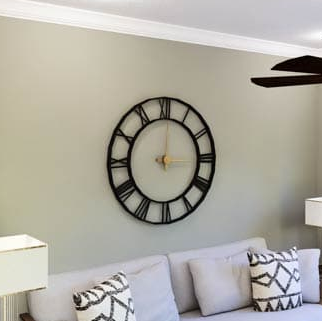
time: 3:01
